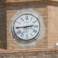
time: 2:45
